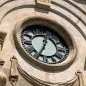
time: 12:34
